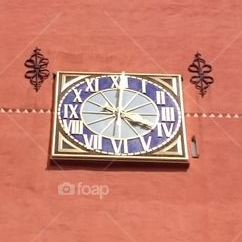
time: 4:00
